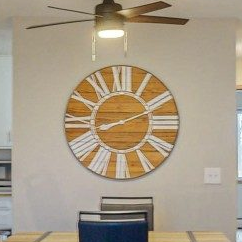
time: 8:11
